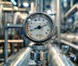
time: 8:11
